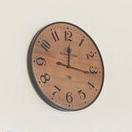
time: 12:16
